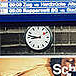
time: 8:46
